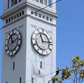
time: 11:13
